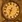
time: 6:33
